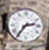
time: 2:36
